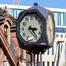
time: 3:24
